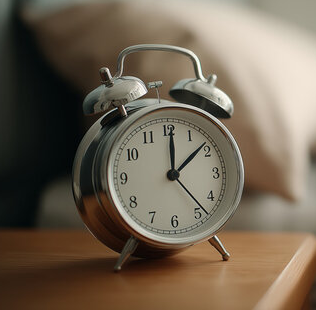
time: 12:08
